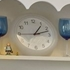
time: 1:12
